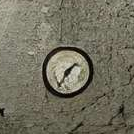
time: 1:35
